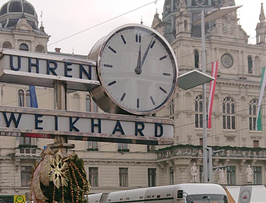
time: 12:04
